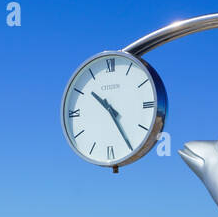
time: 10:24
